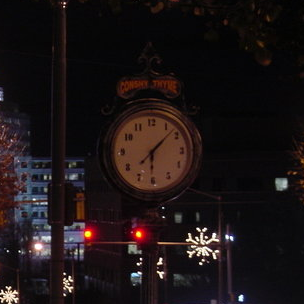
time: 6:07
